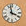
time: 3:58
